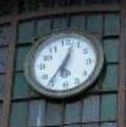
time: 6:36
